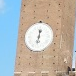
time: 12:32
